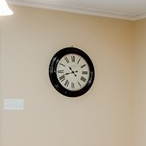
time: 10:41
